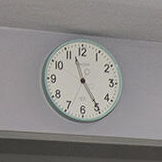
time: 11:24
